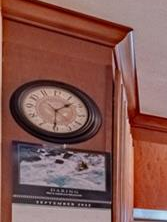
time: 1:30
